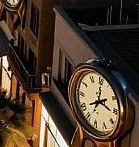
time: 8:01
